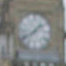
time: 1:39
